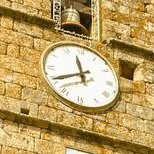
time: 11:40
